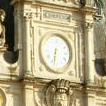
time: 6:32
